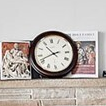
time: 10:41
